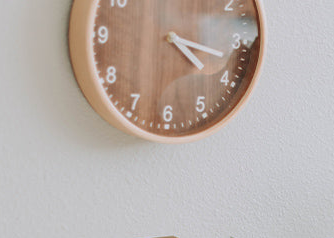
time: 4:17
